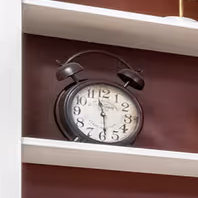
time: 11:28
